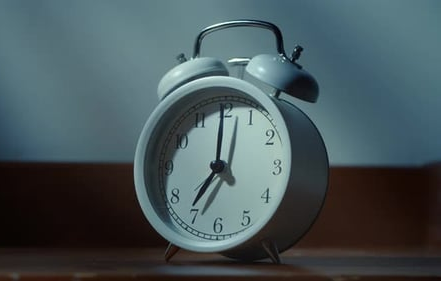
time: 7:00
